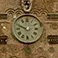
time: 9:48
